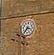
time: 3:36
